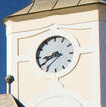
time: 8:39
